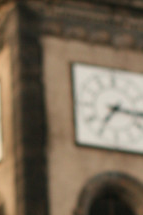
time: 7:16
